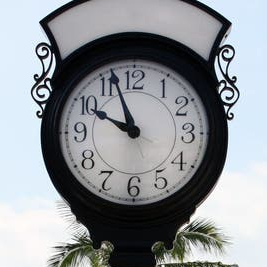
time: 9:56
